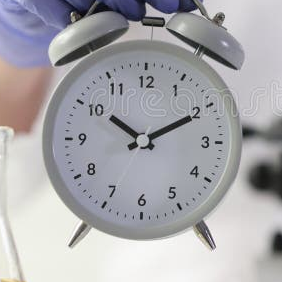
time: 10:10
